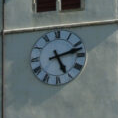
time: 5:12
